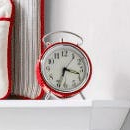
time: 3:33
